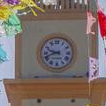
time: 9:42
